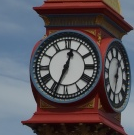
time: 12:33
